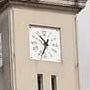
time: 10:34
